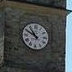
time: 10:50
